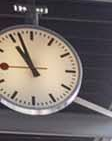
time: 10:56
